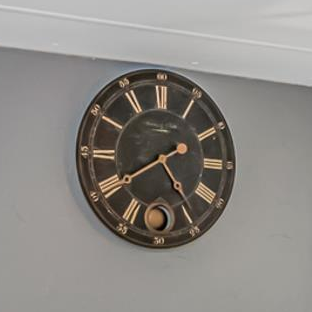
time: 4:40
